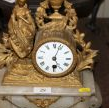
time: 5:03
